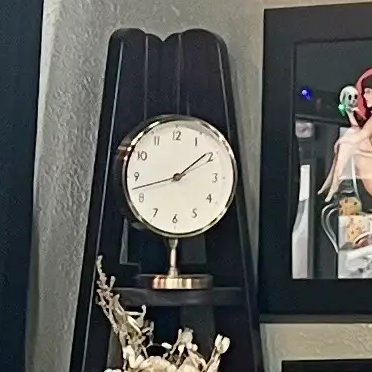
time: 1:42
